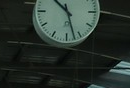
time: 10:27
